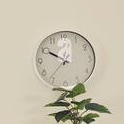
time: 10:02
